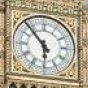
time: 5:53
